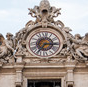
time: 7:15
